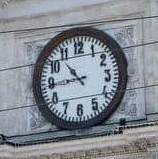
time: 10:43
